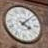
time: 4:07
